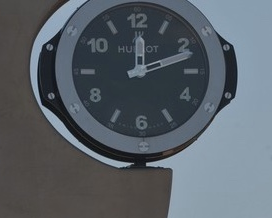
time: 12:11
